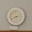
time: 2:40
